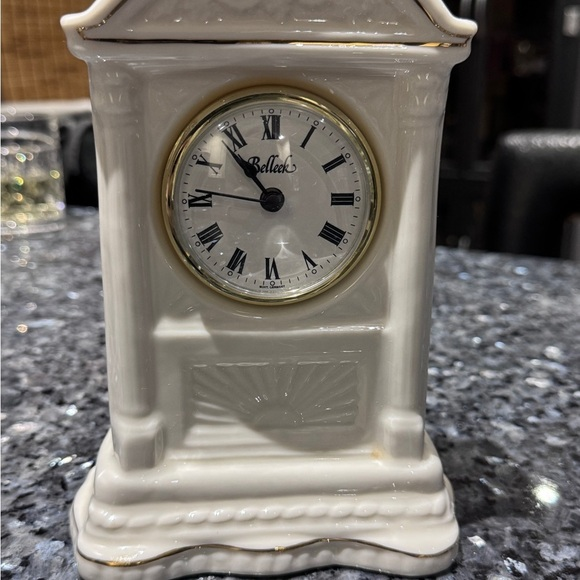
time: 10:45
